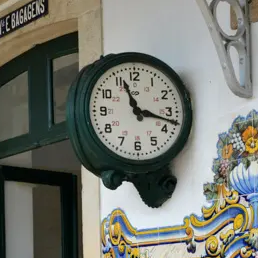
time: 11:17
